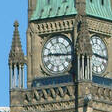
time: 9:15
